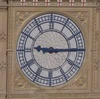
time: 9:14
